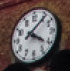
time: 4:07
